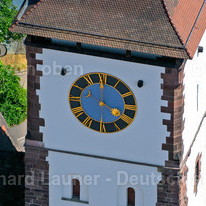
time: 3:59
